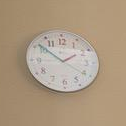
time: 1:51
